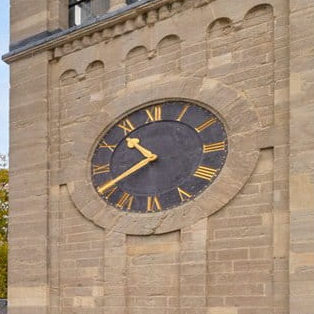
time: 10:40
